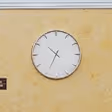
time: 10:34
